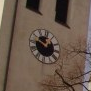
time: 12:49
